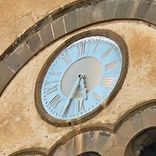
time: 5:34
